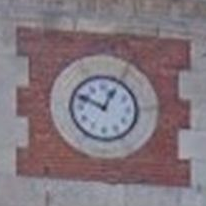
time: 12:49
